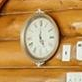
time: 5:00
